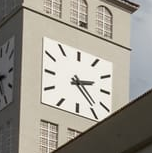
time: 2:23
